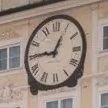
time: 12:45
